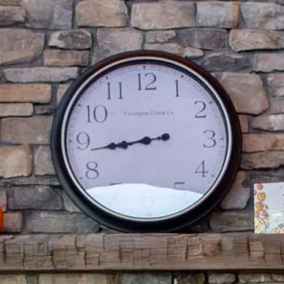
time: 8:43
